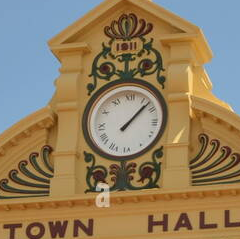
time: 1:07
